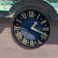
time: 1:18
